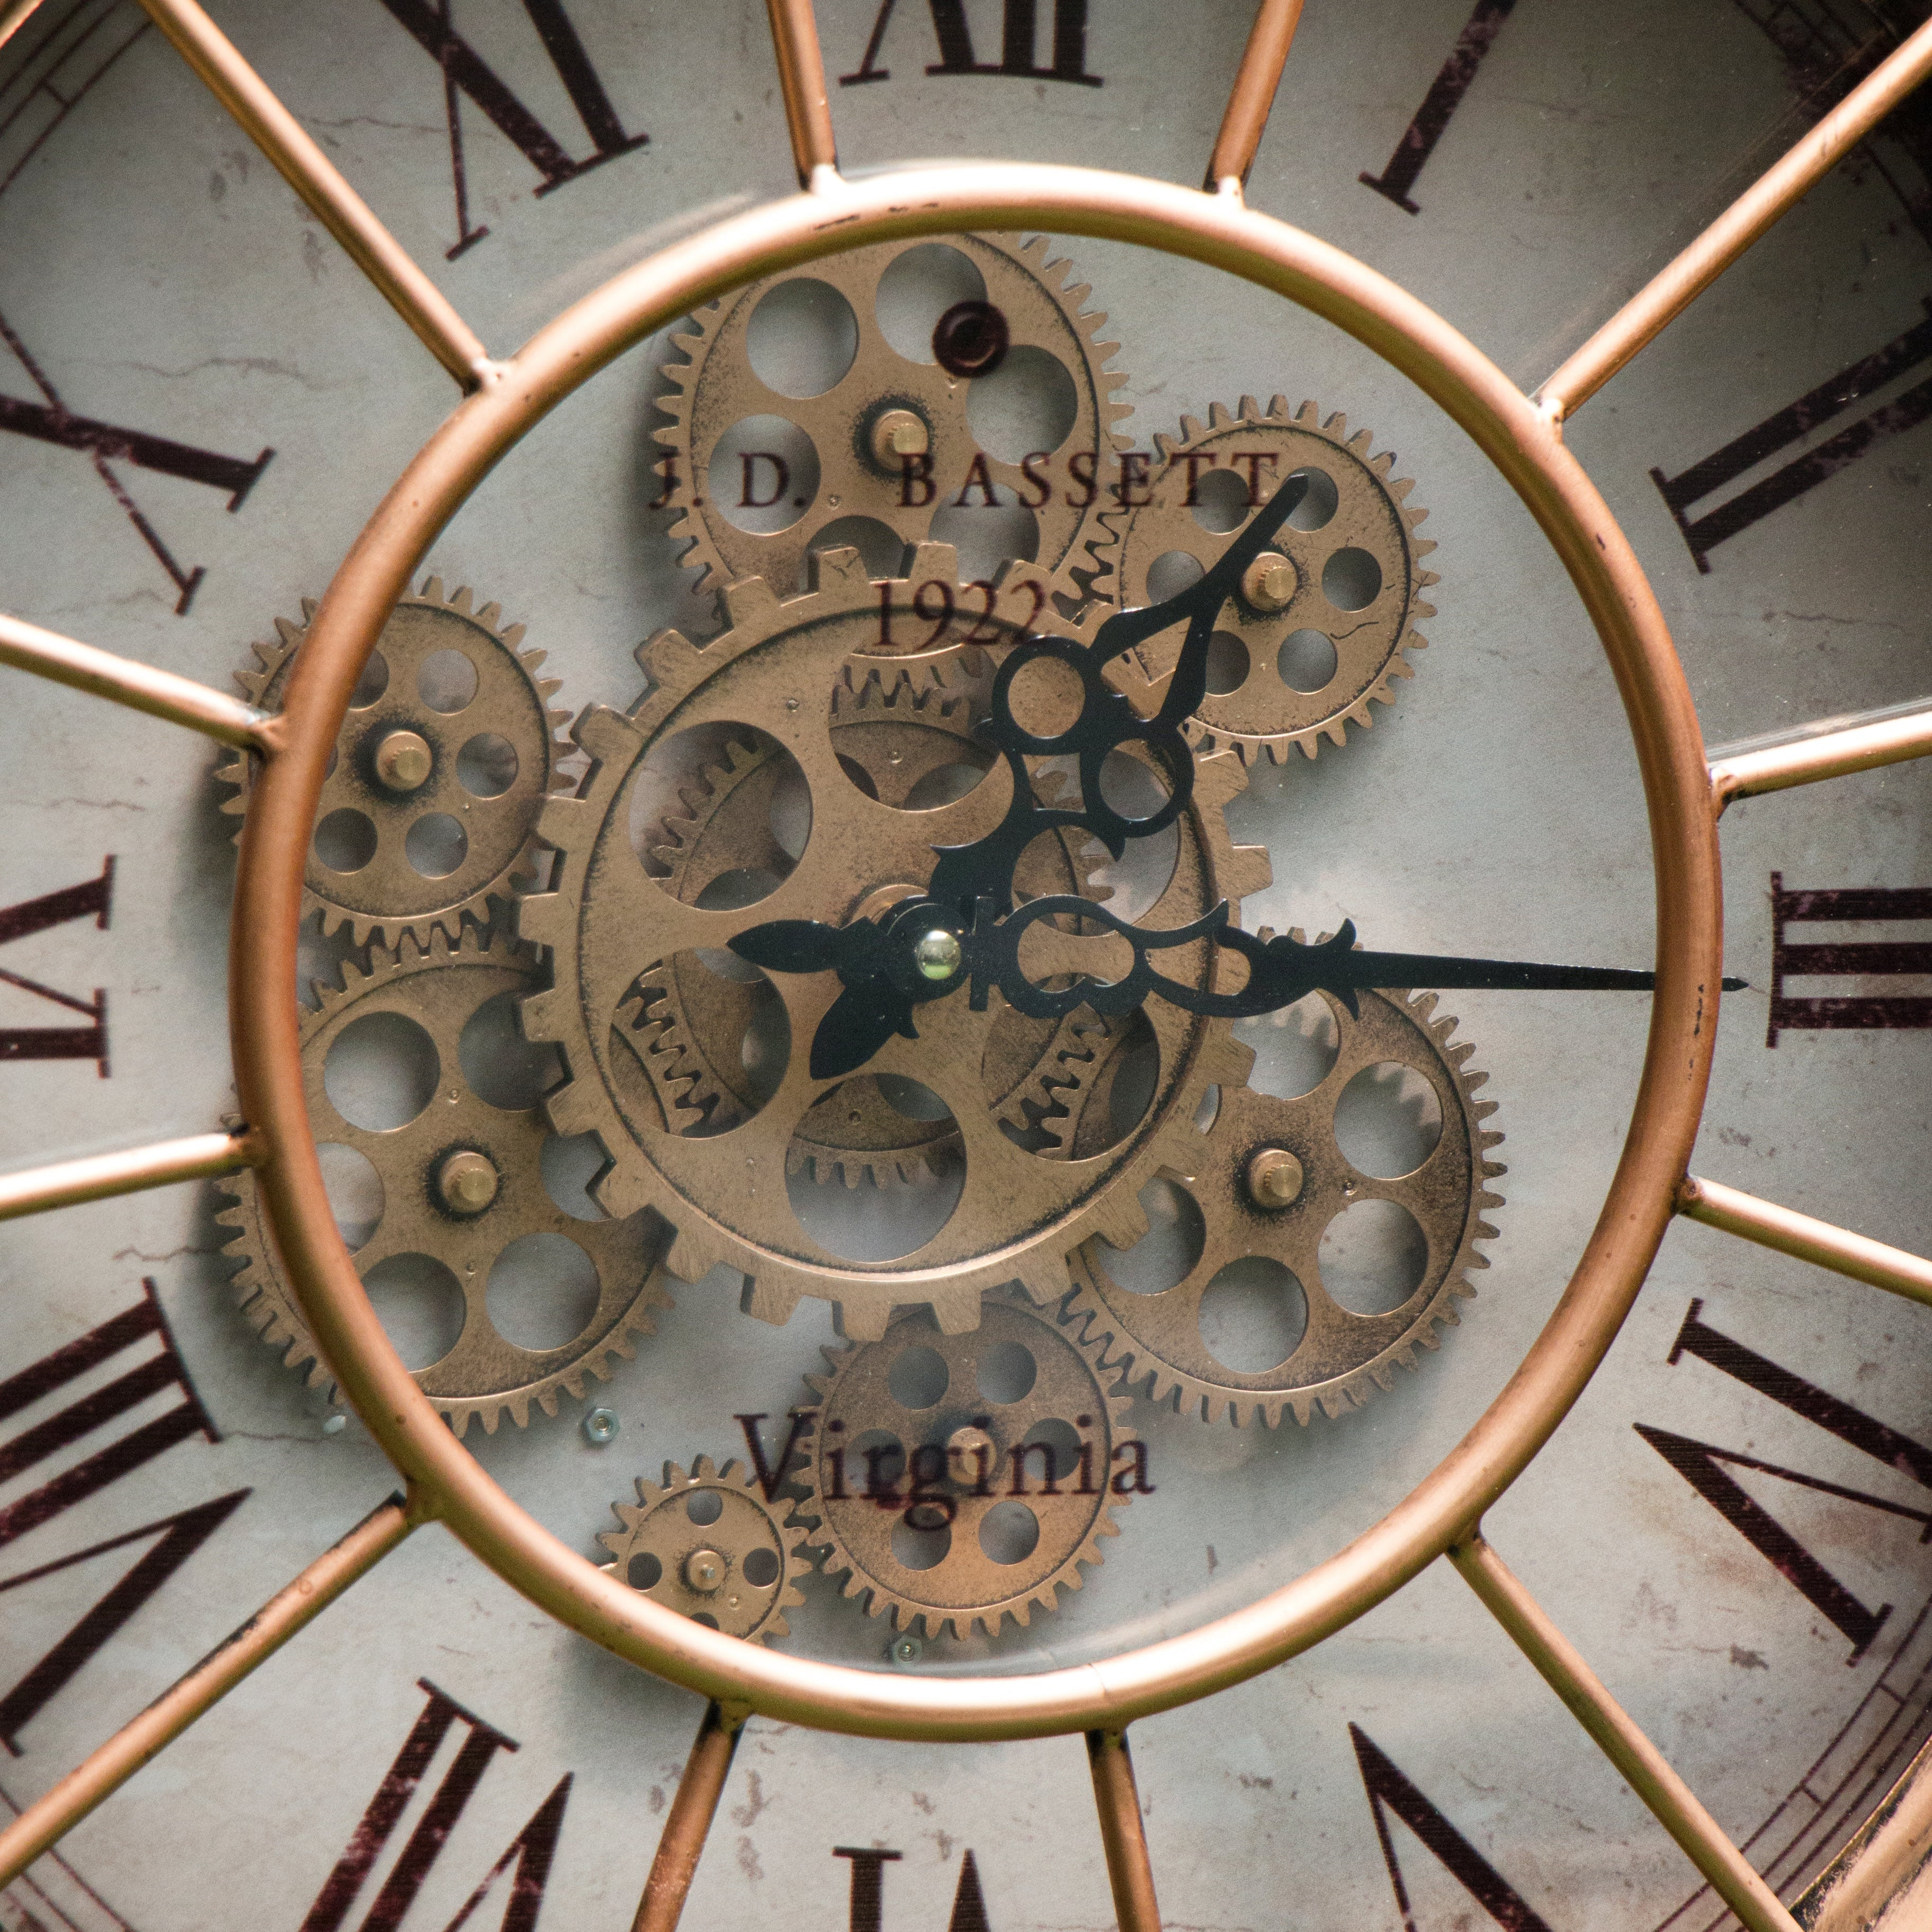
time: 1:15
